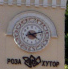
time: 4:12
